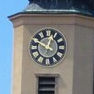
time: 12:49
